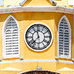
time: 11:37
